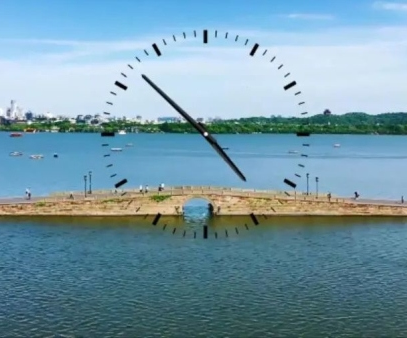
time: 4:52
